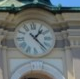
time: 1:23
